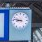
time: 8:47
